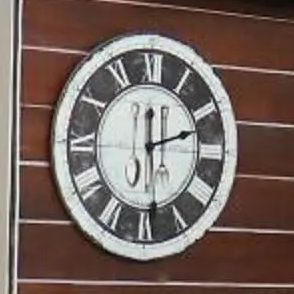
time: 12:12
